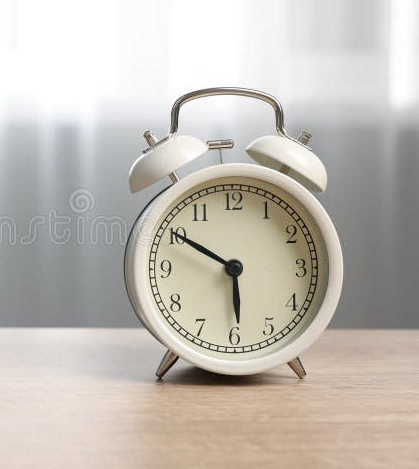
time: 5:50
